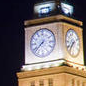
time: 7:37
